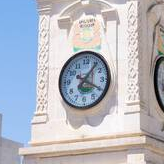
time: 1:19
